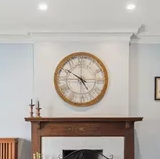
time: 4:50
